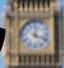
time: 12:18
